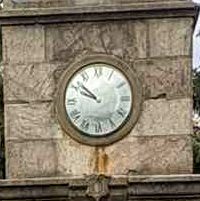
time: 9:51
